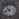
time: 10:42
